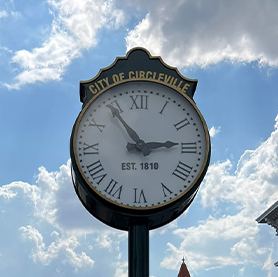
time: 2:54
